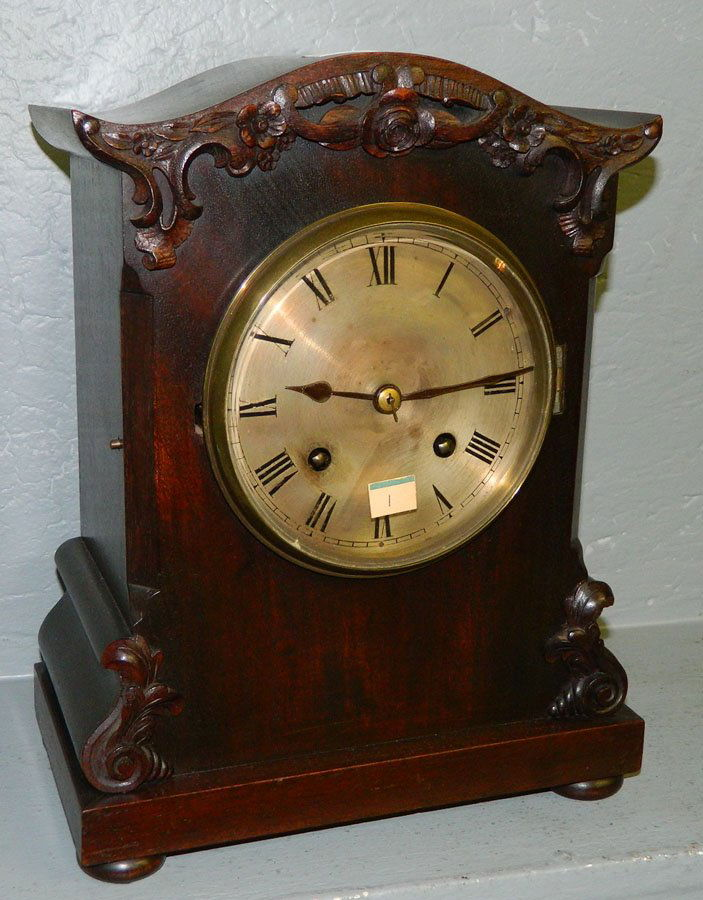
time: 9:14
